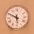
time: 5:49
